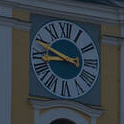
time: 8:48
